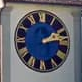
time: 2:13
